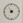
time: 8:54
